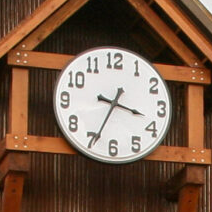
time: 3:34
